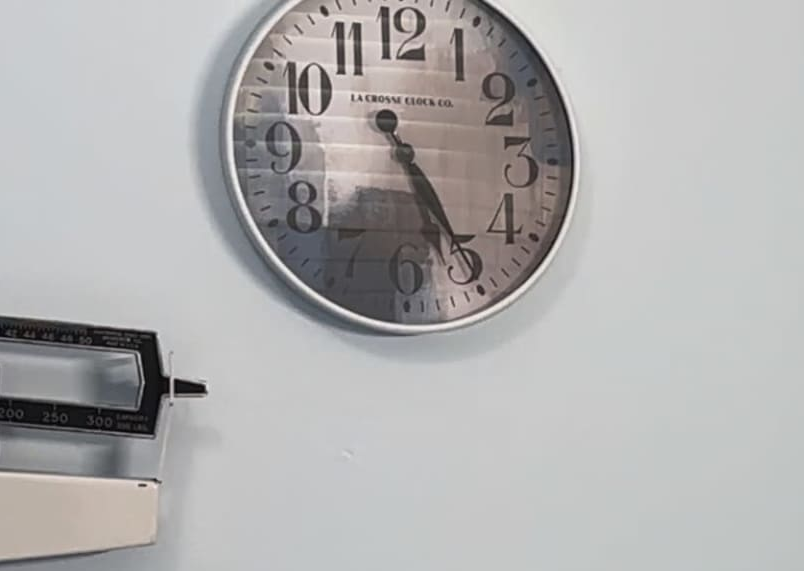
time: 5:24
